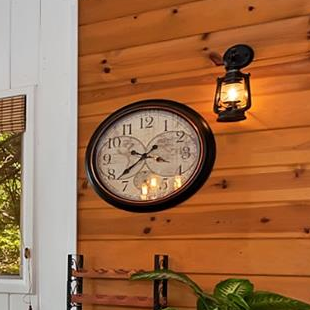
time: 9:38
